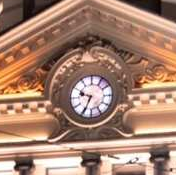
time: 9:34
